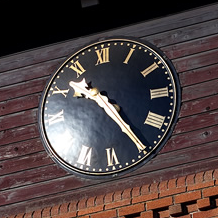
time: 10:24
